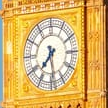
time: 7:28
